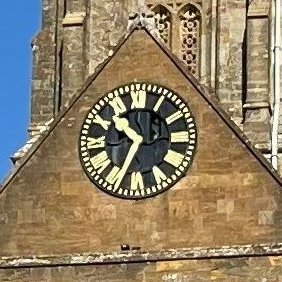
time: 10:34
